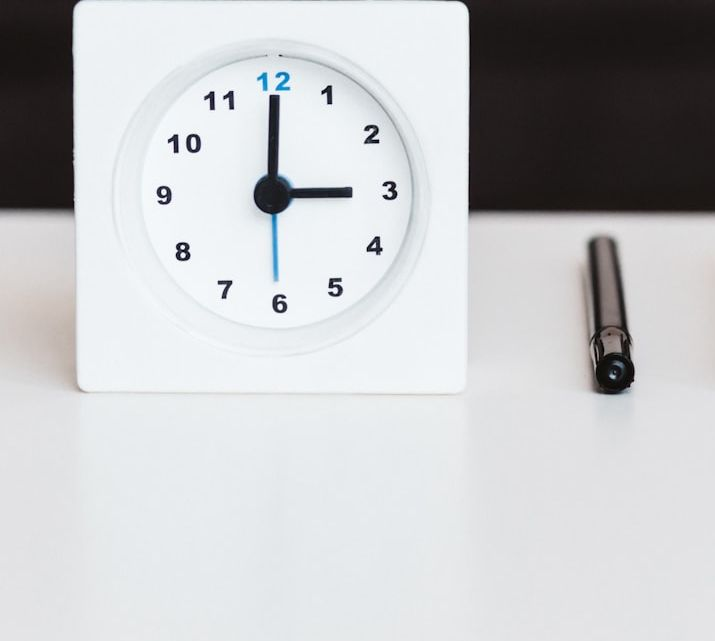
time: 3:00
